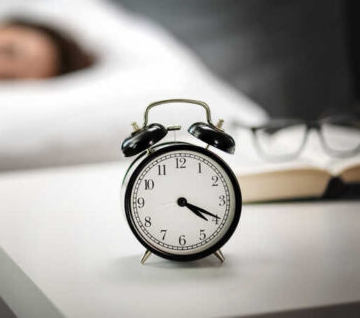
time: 4:19
